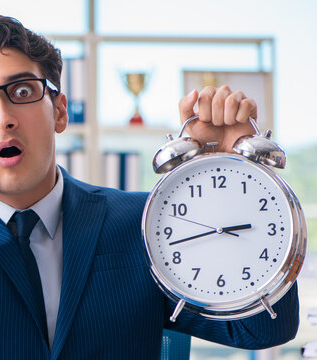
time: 2:42
